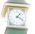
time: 1:18
